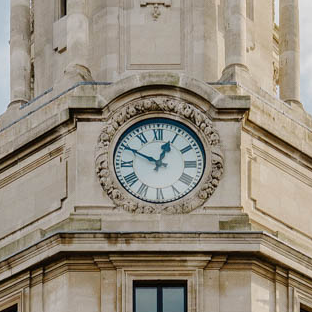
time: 12:49
